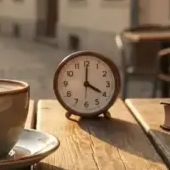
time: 4:00
